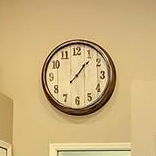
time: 1:07
